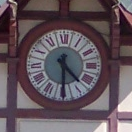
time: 4:30
